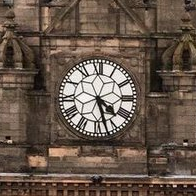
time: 4:27
